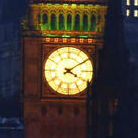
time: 4:09
